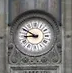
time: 8:49
